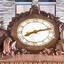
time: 8:12
